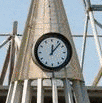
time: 12:06
